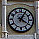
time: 4:04
